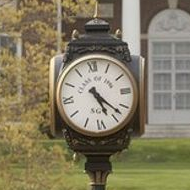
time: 5:22
